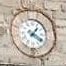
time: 1:20
